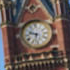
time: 9:33
